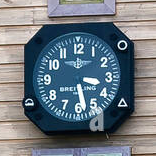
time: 3:27
